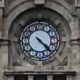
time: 4:22
